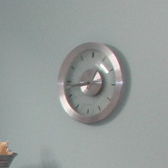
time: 12:43
